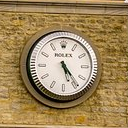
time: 5:23
